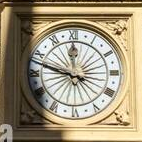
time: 11:47
